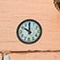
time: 9:59
